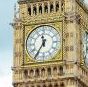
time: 11:35
